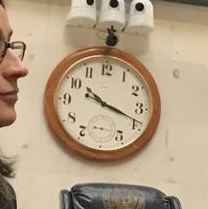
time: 10:18
